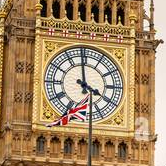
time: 3:58
